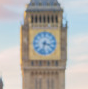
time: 3:32
